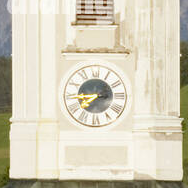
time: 7:44
